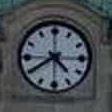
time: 4:39
